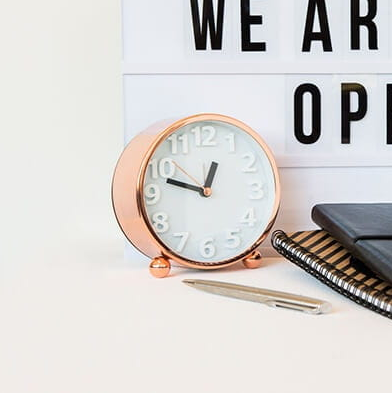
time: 12:47
